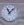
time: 11:07
